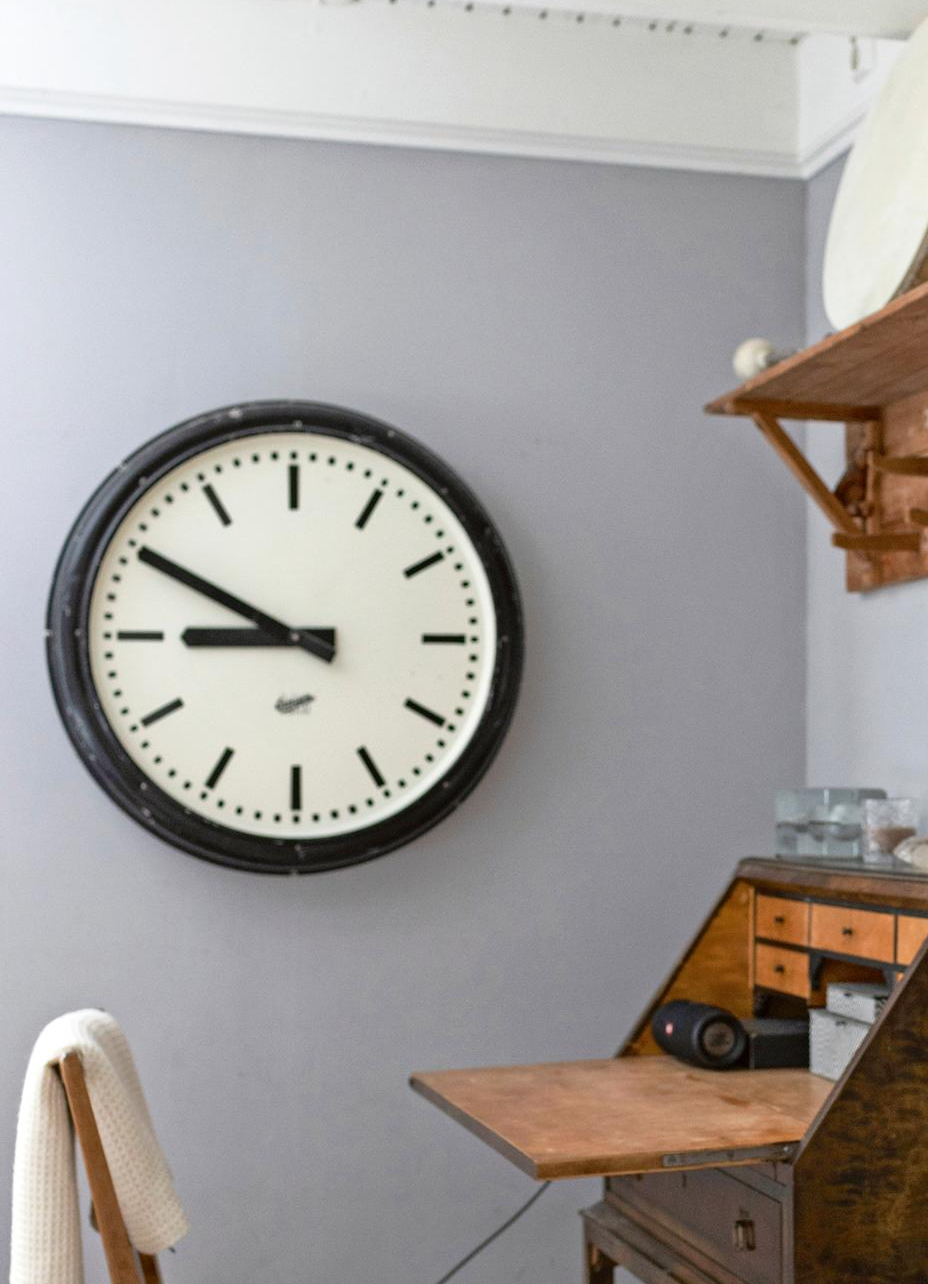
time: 8:49
